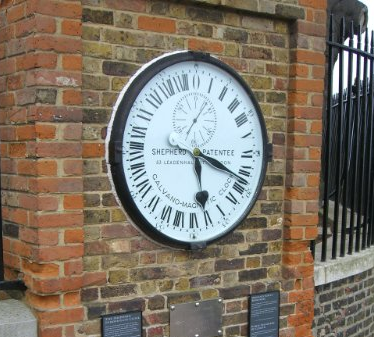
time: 5:18
